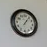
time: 1:05
